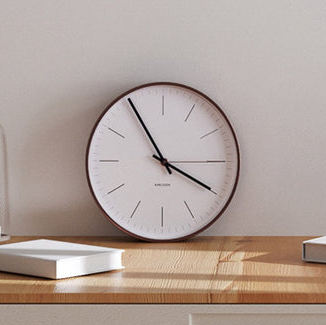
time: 3:54
